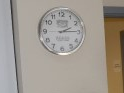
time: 2:14
